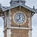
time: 11:37
